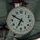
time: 6:49
